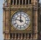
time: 11:47
